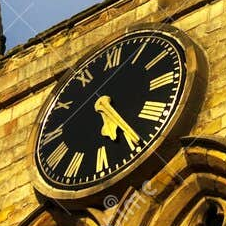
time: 5:24
